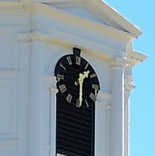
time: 1:29
